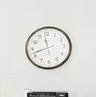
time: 11:42
